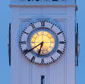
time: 6:39
